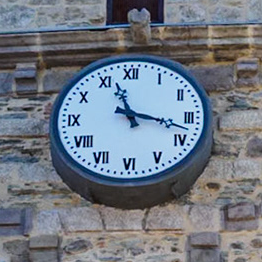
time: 11:17
